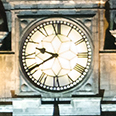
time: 9:40
